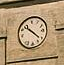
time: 10:21
